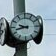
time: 9:42
